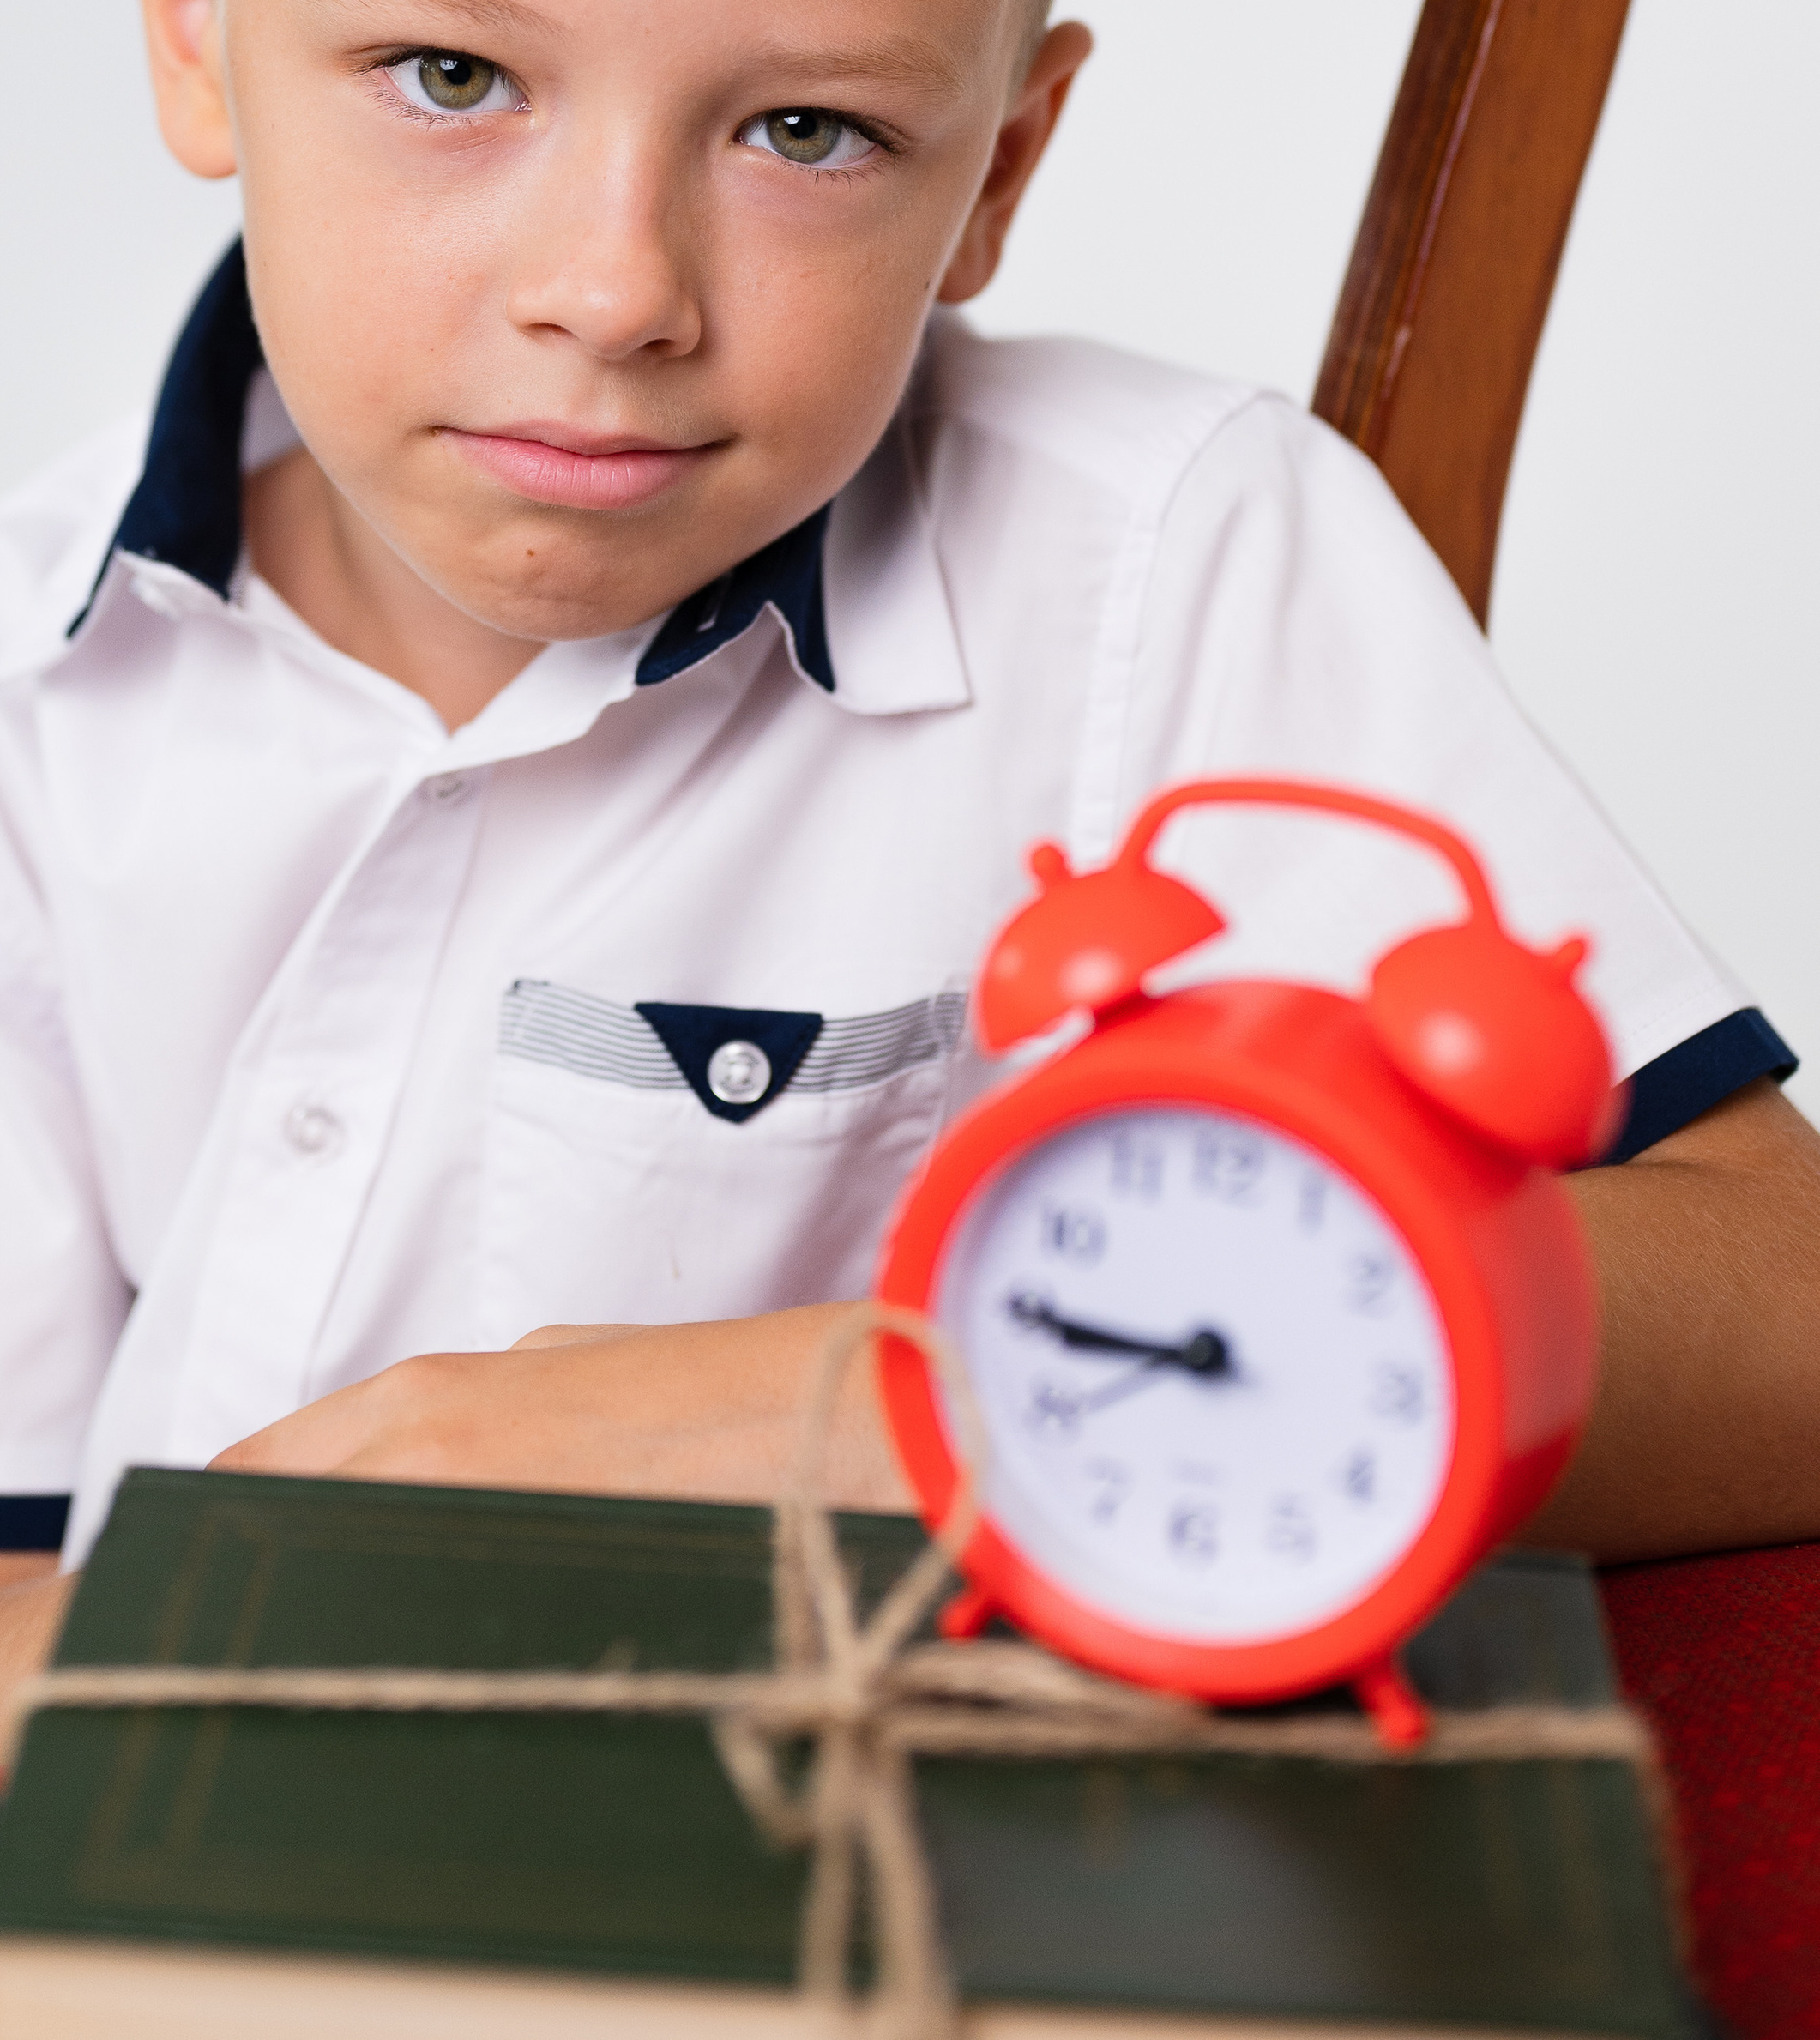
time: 8:45
